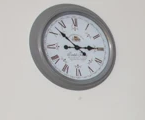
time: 2:52
